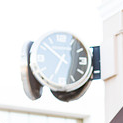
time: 6:51
